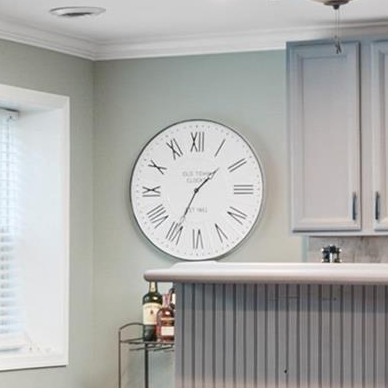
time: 1:34
